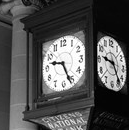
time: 9:26
